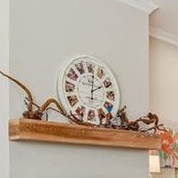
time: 2:01
